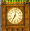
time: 7:02
